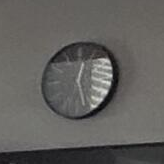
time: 12:26
